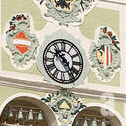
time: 10:24
